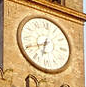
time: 6:40
